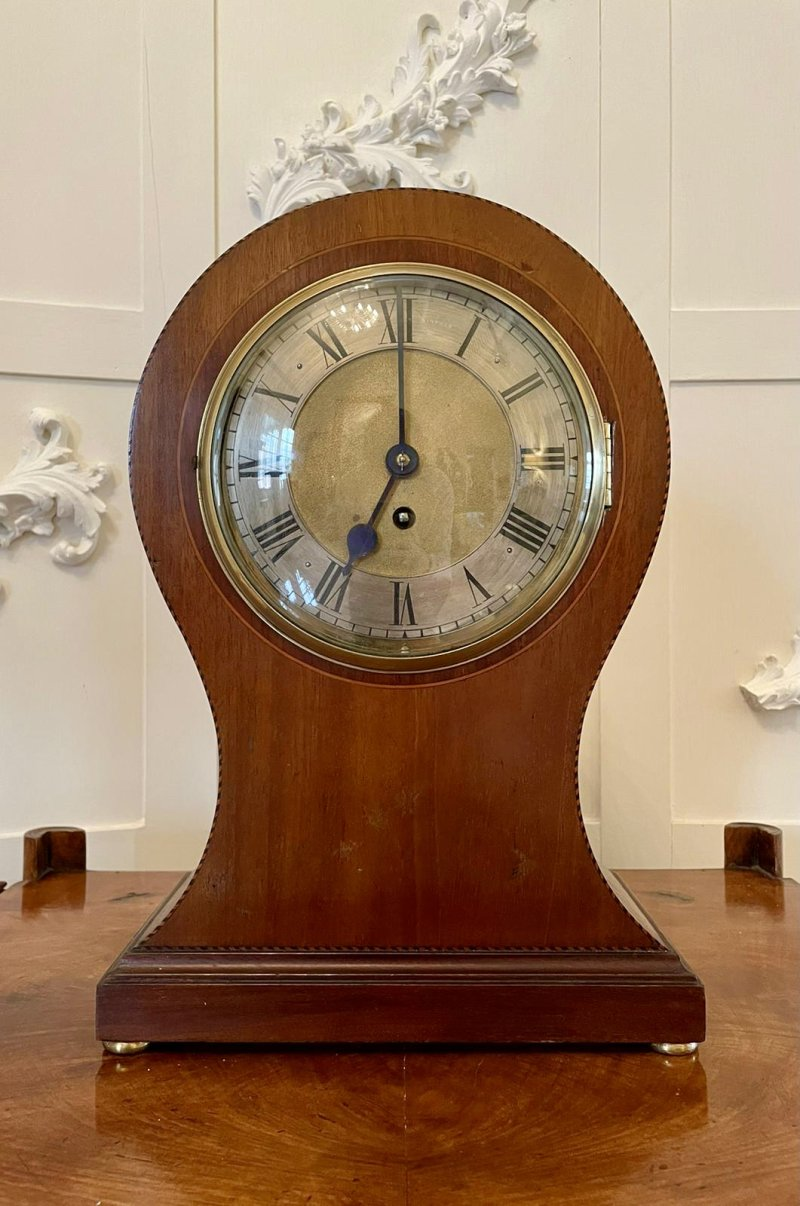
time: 7:00
